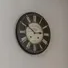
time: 2:50
